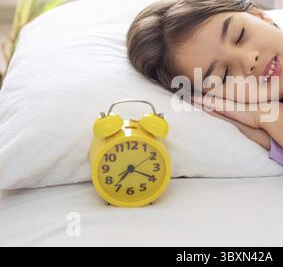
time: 7:19
